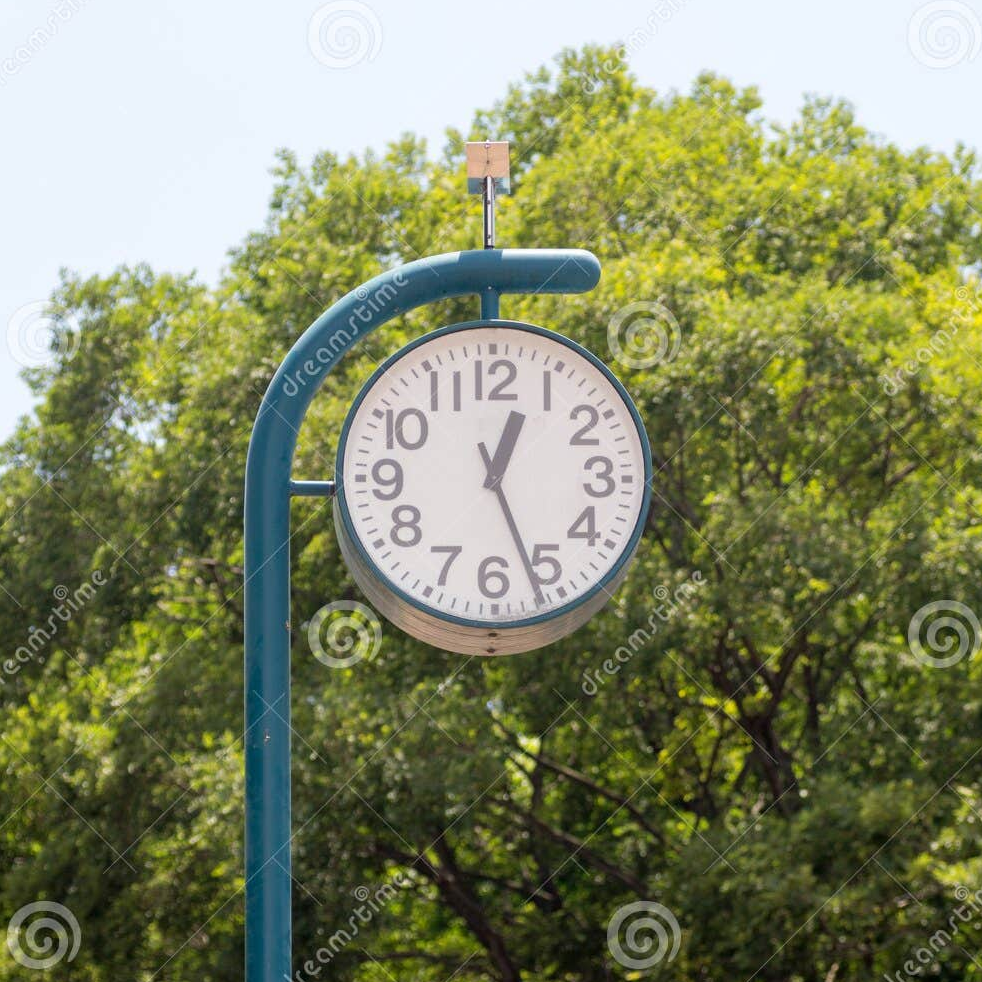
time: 12:26
